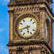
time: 5:42
